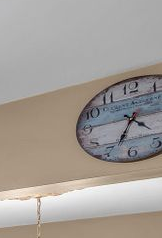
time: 4:33
